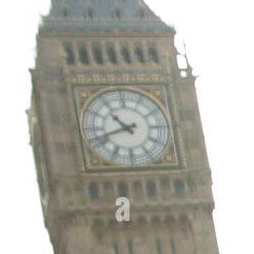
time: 10:42
